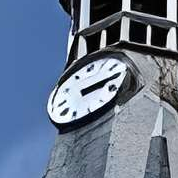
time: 3:14
